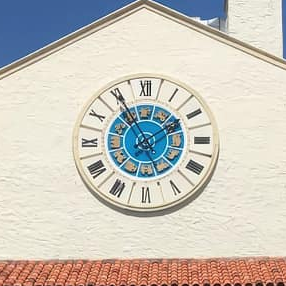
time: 1:55
